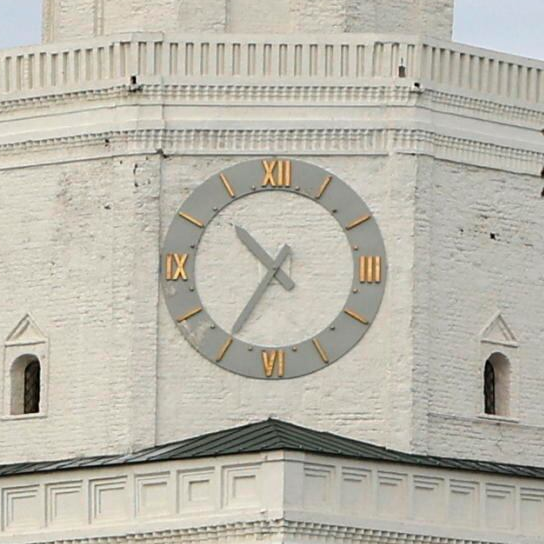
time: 10:35
